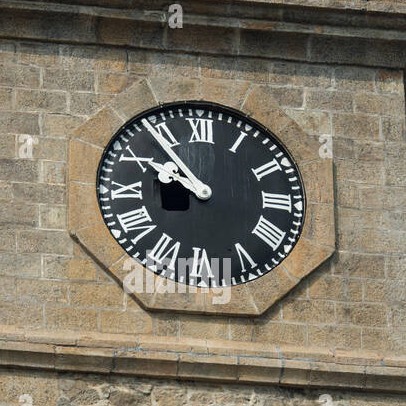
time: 9:53
